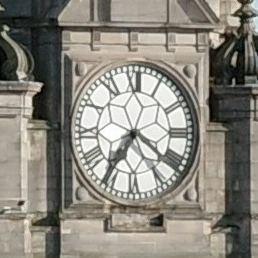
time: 7:21
